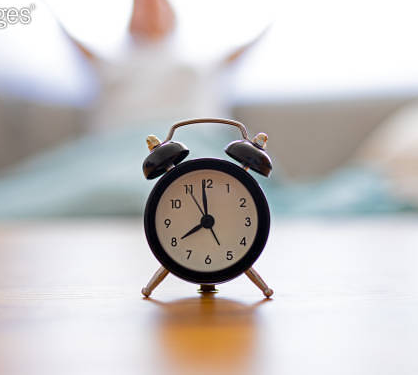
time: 7:59
